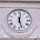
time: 12:27
